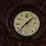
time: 1:37
